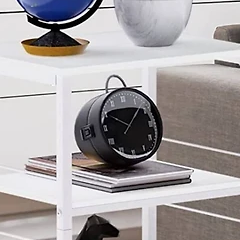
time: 10:07
